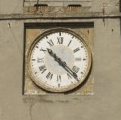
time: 10:22
